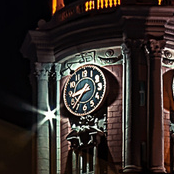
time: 8:36
